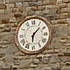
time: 6:07
